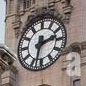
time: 2:32
